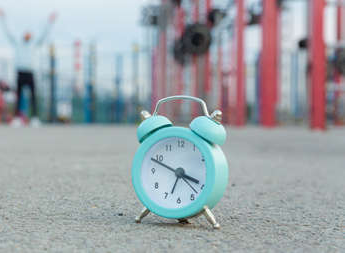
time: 3:48
